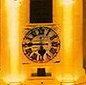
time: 5:45
